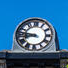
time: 8:47
